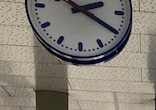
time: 2:19
